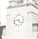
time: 4:44
